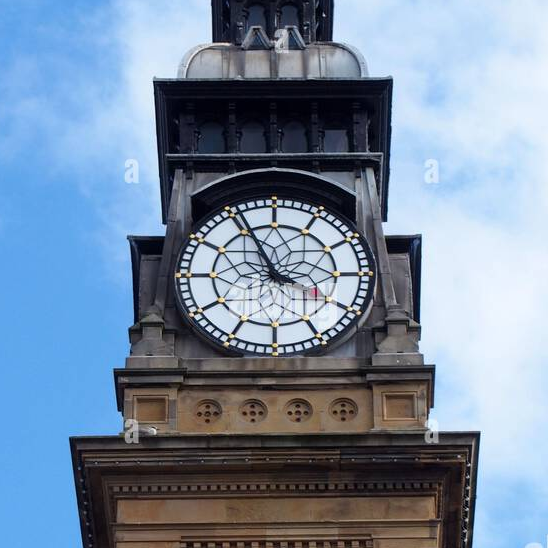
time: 3:55
